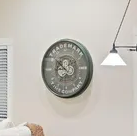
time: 8:51
